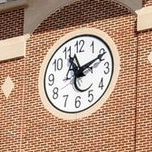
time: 11:10
